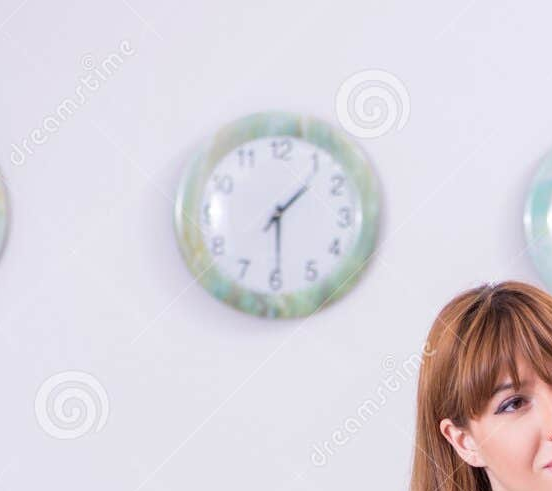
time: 1:29
